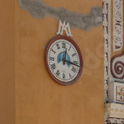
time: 12:16
